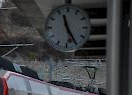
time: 11:25
